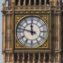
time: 11:47
